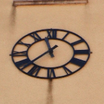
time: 11:37
